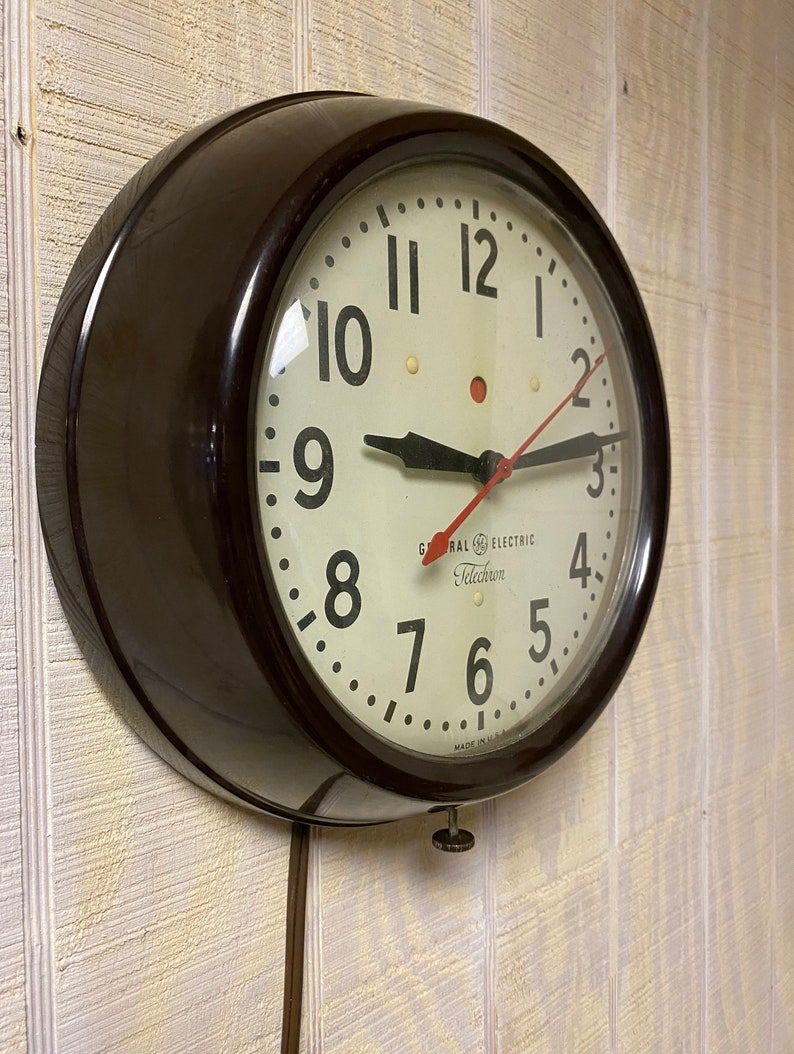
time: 9:13
